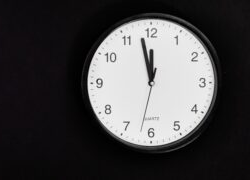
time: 11:57
